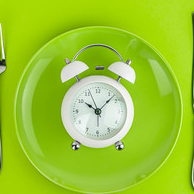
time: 10:07
